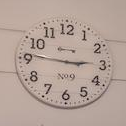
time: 2:46
